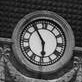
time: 5:54
